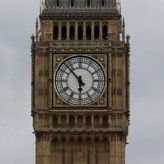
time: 5:52
